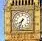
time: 7:33
